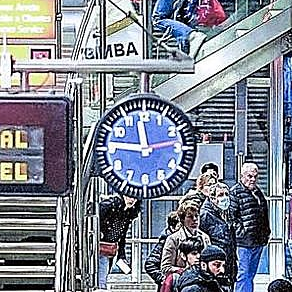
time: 11:46
